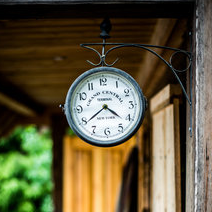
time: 4:21
